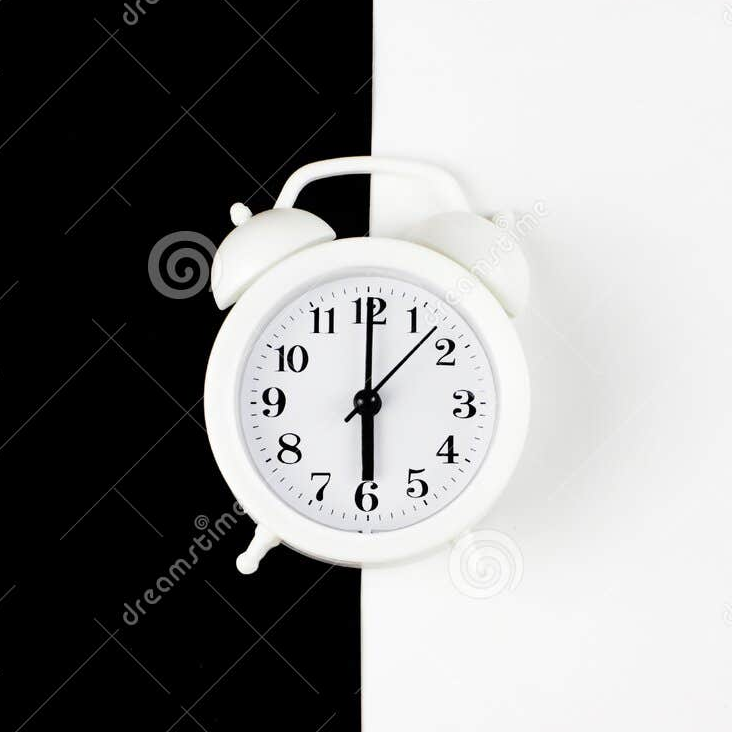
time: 6:00
